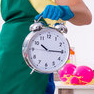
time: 10:15
